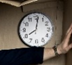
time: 8:01
